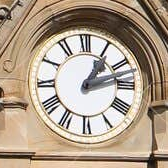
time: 1:12
